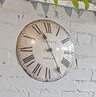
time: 11:25
